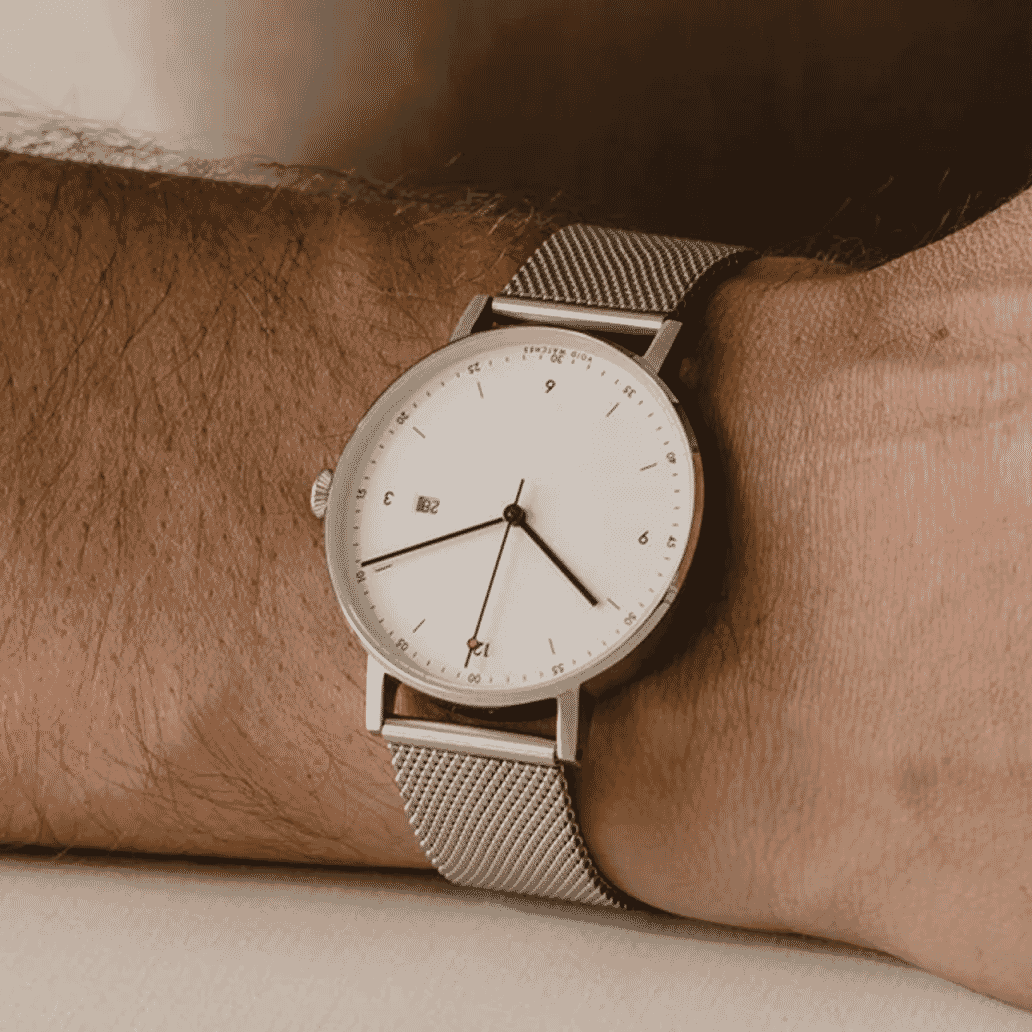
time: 8:20
